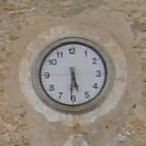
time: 5:30
